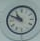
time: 10:49
